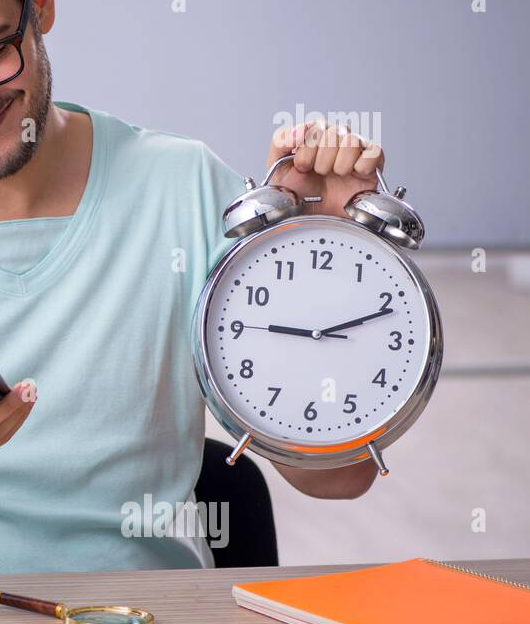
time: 9:11
